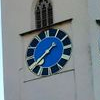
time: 7:37
